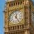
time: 12:24
